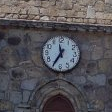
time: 11:35
